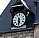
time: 5:30
